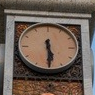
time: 5:29
